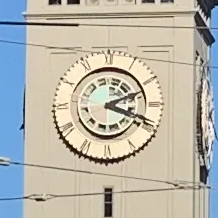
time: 2:18
